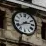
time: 2:38
